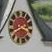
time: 3:40
